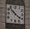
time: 10:21
